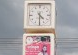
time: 4:30
